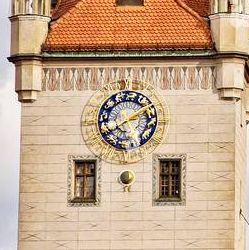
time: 1:39
